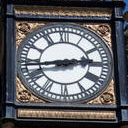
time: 2:43
